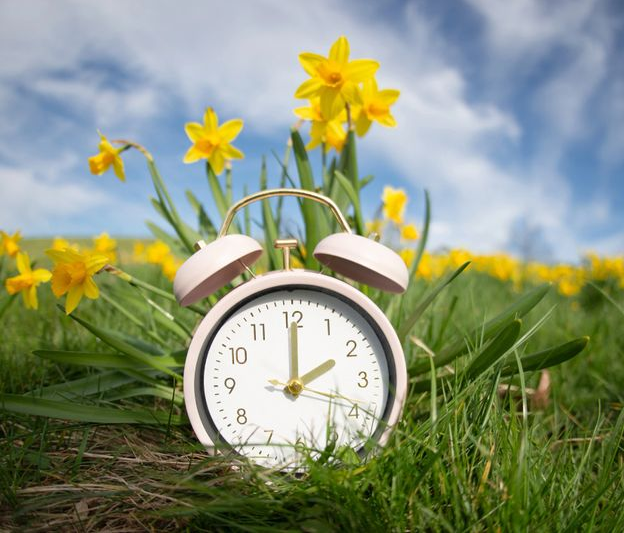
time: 2:00
